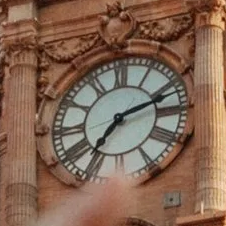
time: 7:12
